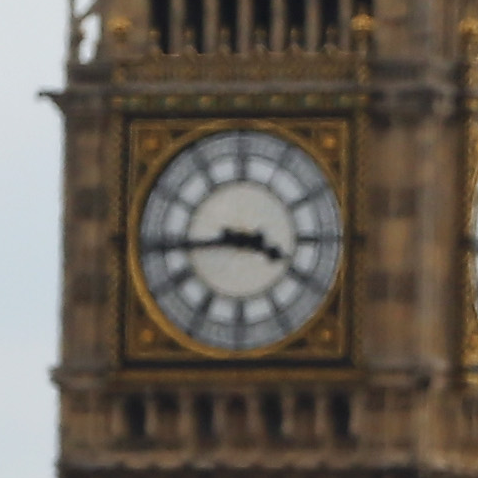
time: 3:43
